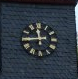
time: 11:44
